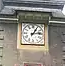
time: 1:13
